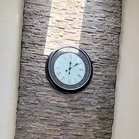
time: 12:09
